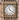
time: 11:21
